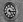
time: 5:15
